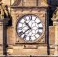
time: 10:38
